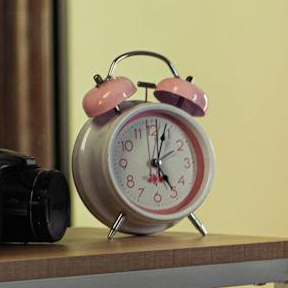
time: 5:03
